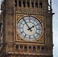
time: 1:54
